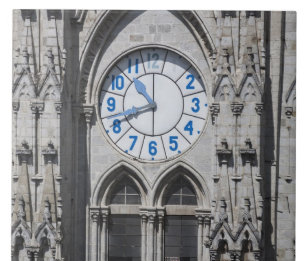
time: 10:41
